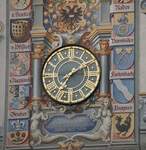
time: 7:09
